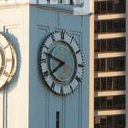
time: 7:47
